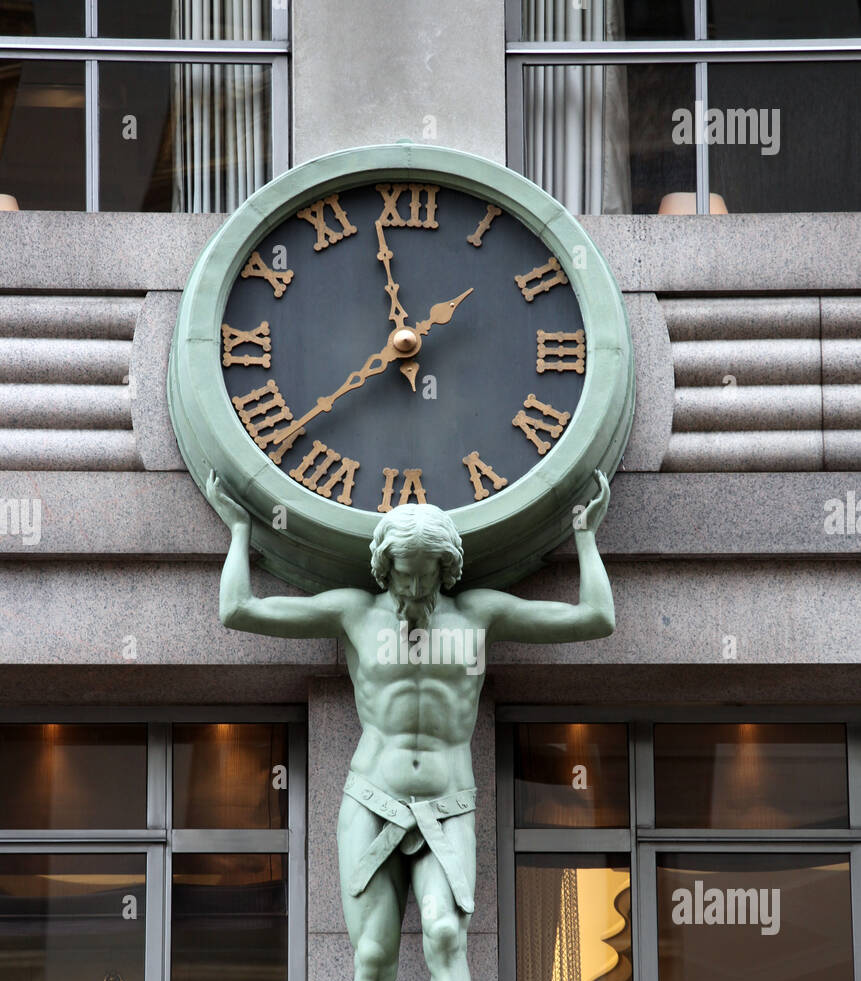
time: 11:37
